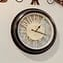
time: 1:18
